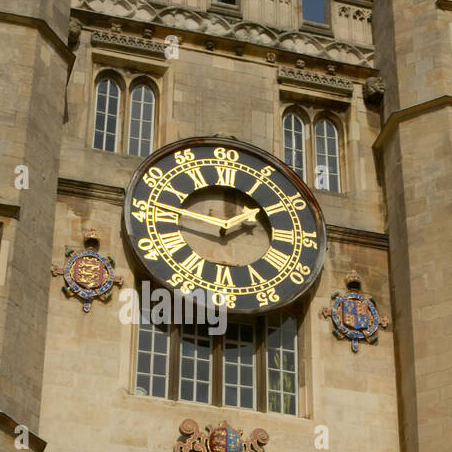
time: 1:47
